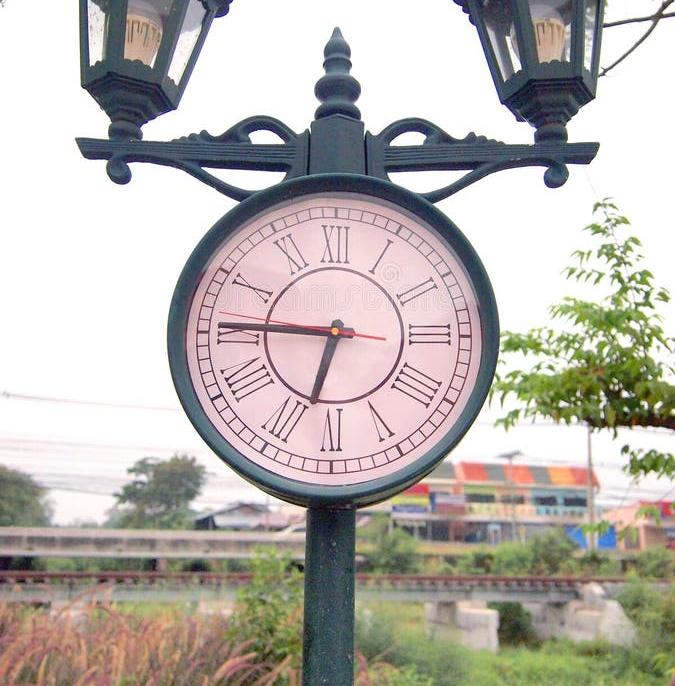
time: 6:45
